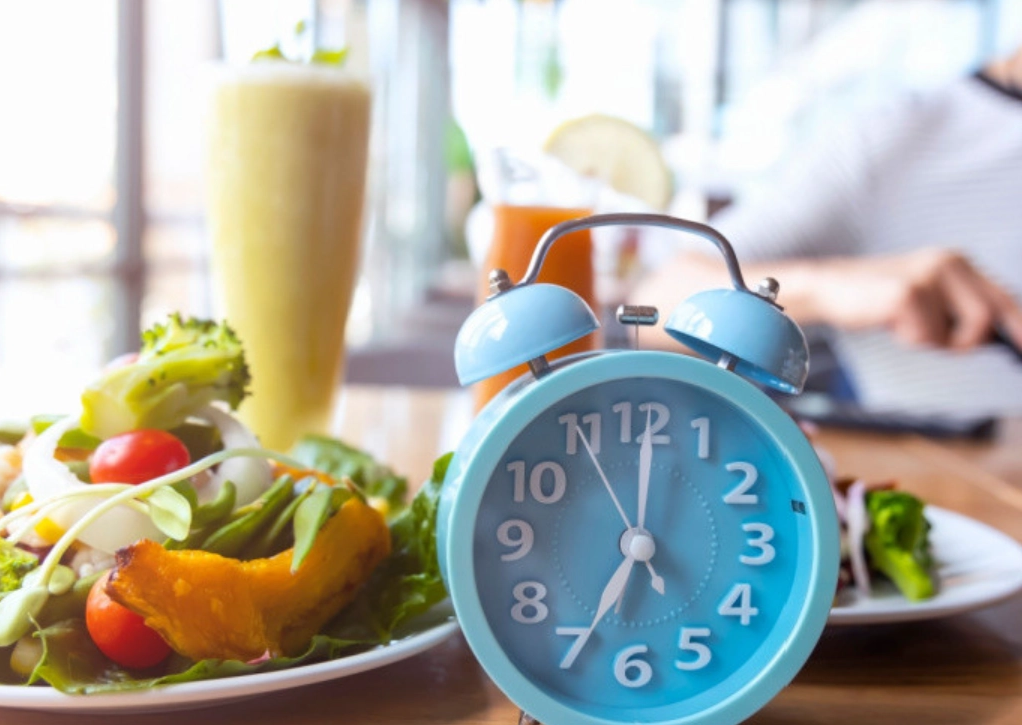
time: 7:00
